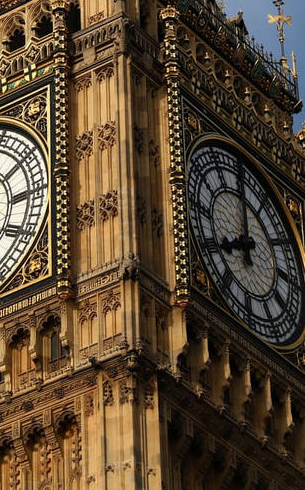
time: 8:00
